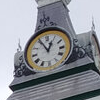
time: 12:55
